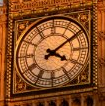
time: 4:09
